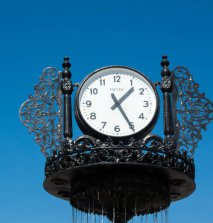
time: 1:25
